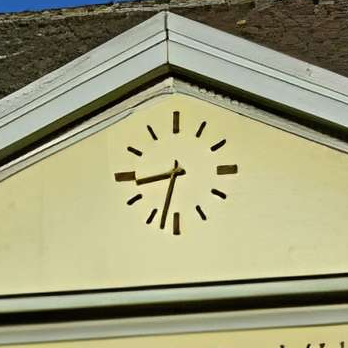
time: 8:32
